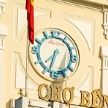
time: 7:32
